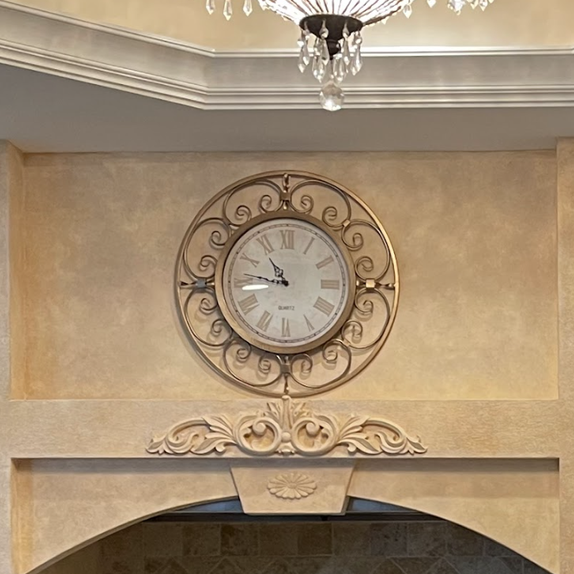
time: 10:43
